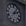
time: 2:06
